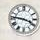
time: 3:46
